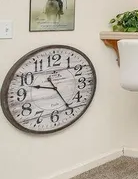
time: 9:24
